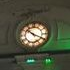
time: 10:19
